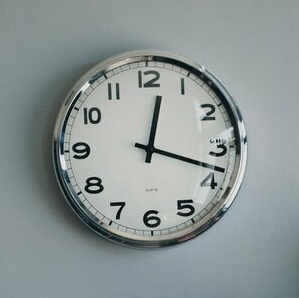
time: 12:18
